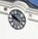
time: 9:50
